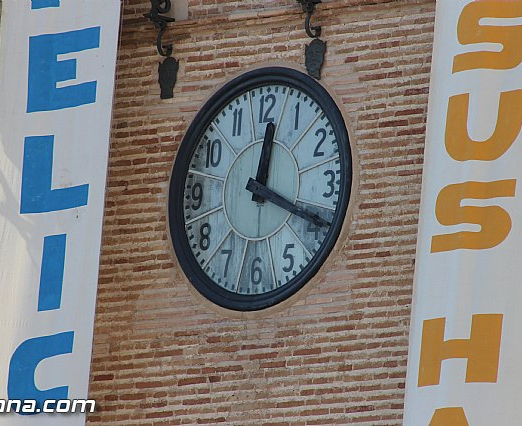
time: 12:19
